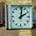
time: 2:01
